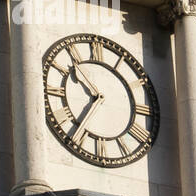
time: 10:36
